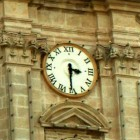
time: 3:30
